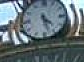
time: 4:27
